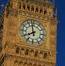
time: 7:57
